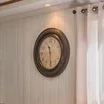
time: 11:29
